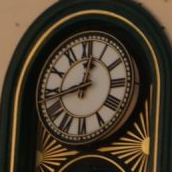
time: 12:43
